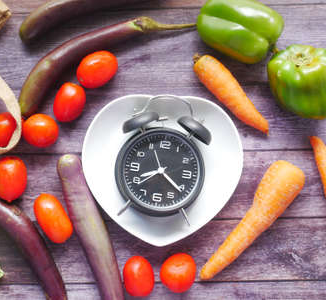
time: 8:21
